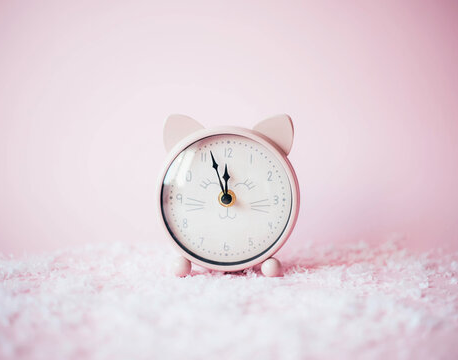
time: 11:56
